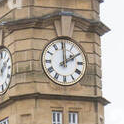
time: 2:00
